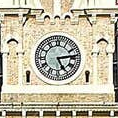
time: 5:13
